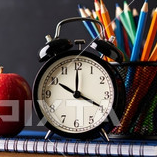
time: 10:00
